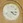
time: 4:14
